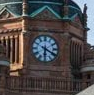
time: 6:19
